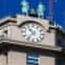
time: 10:36
